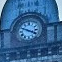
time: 3:48
